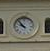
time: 9:53
